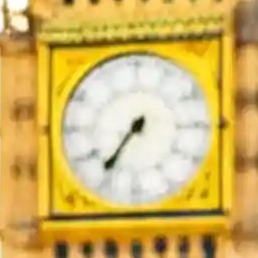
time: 7:36
